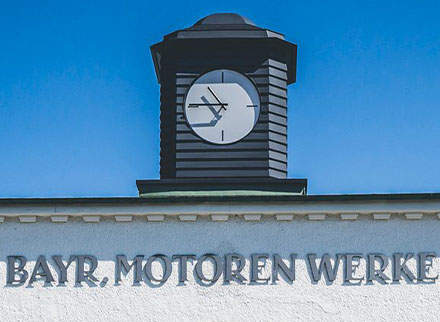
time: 10:45
